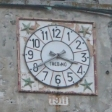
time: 3:40
